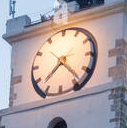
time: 7:23
